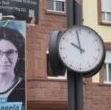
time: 9:57
